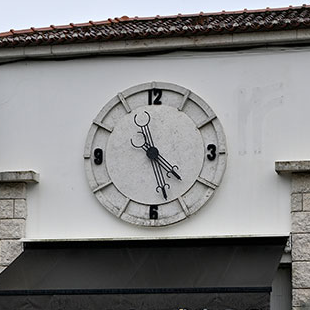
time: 4:27
